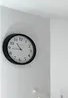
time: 10:44
